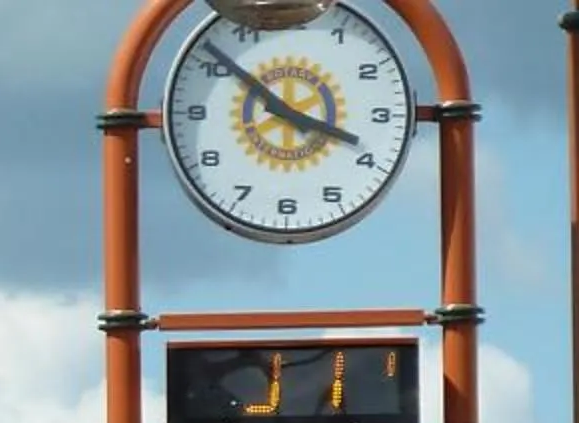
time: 3:51
